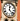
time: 12:22
